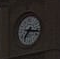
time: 7:16
